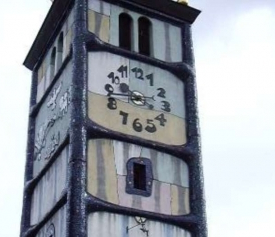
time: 3:43
